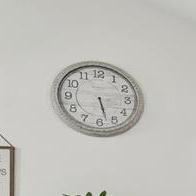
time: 5:27
